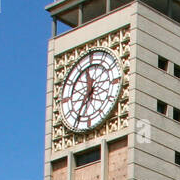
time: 11:35
